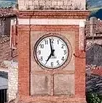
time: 6:58
